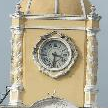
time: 3:30
